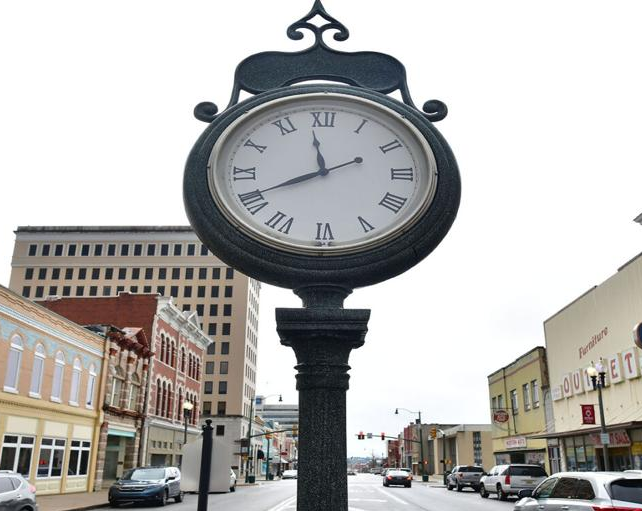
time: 11:40
